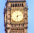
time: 6:12
